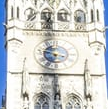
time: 6:47
